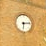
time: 6:13
